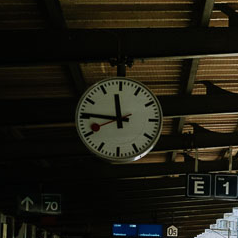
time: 11:45
